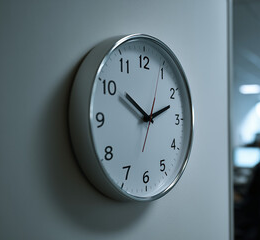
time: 10:11
